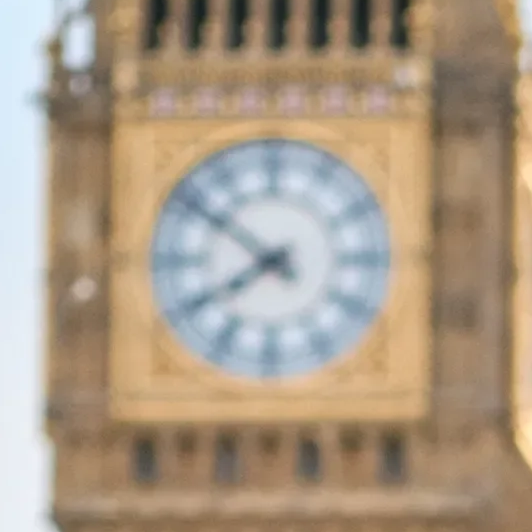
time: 7:51
